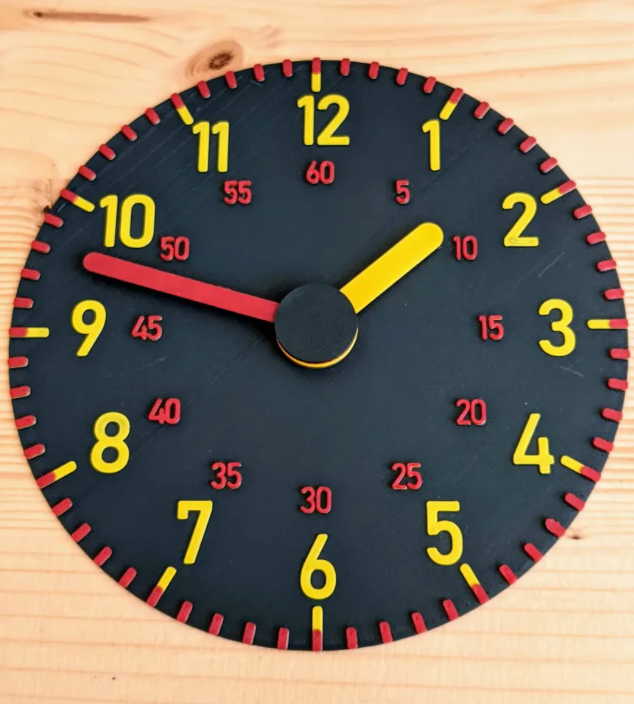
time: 1:47
